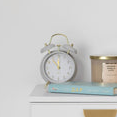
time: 11:53
